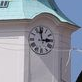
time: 2:59
